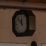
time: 11:51
